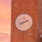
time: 8:11
